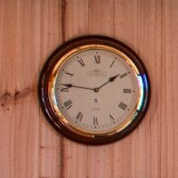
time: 1:46
